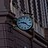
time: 9:22
